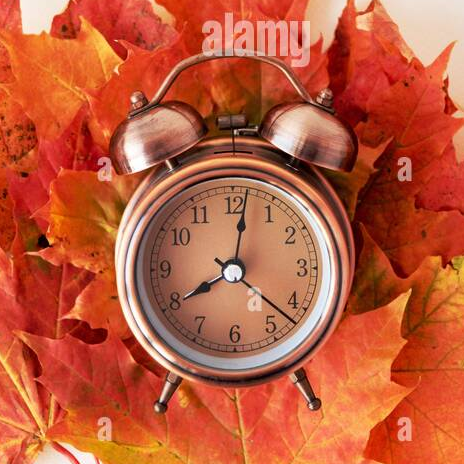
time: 8:01
